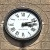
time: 3:12
